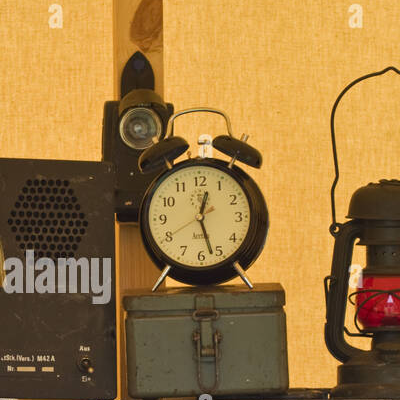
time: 12:27
